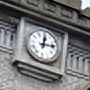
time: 12:13
